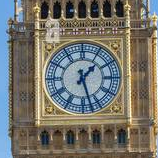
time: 1:27
